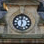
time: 11:32
